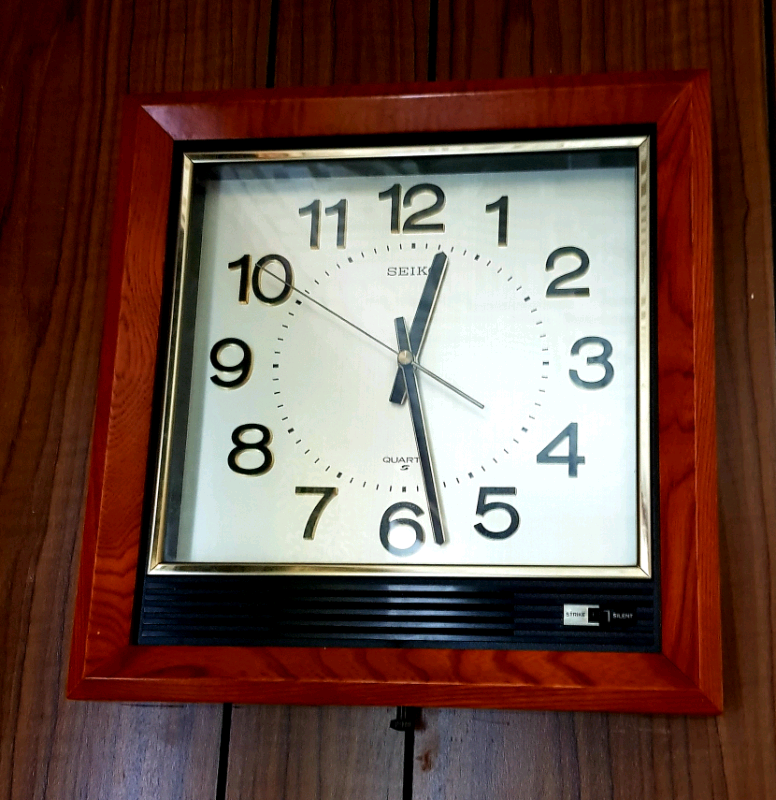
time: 12:28
